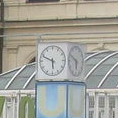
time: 5:48
